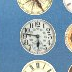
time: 5:46
